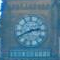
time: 2:41
